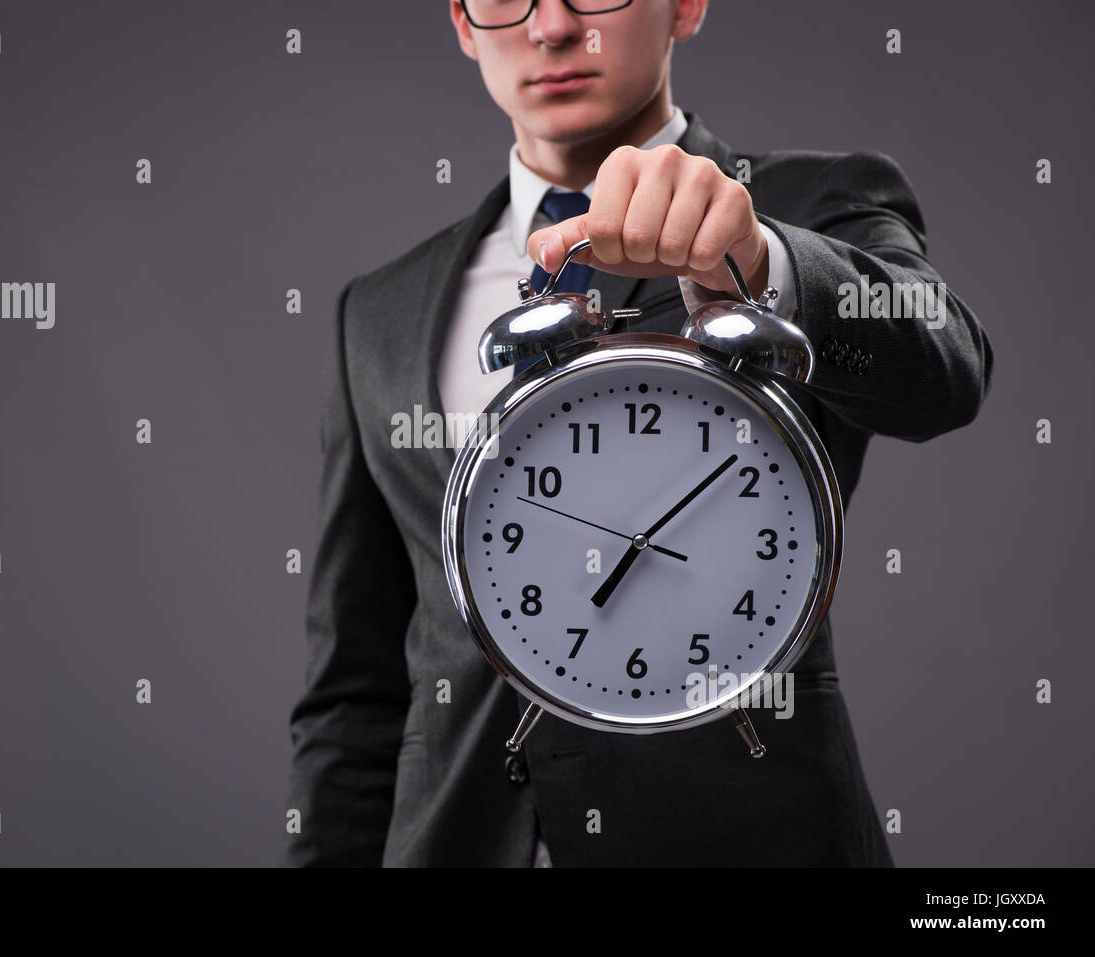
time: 7:08
